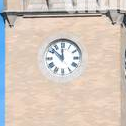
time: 11:52
